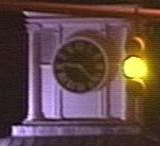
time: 9:22
